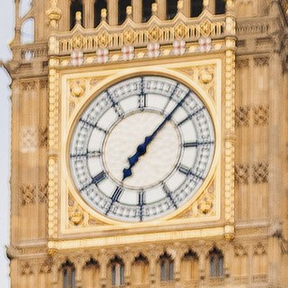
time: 7:07
